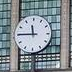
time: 11:45
